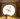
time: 4:04
